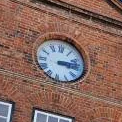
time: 3:13
